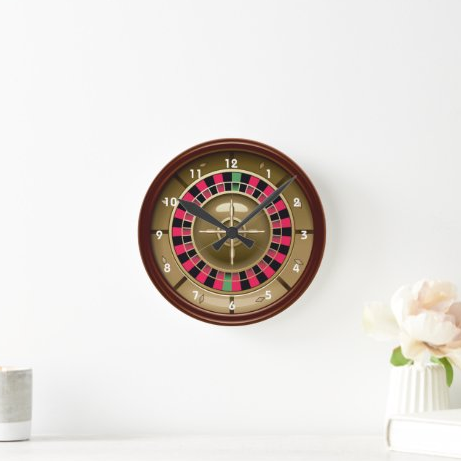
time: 10:07
